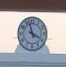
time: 3:57
